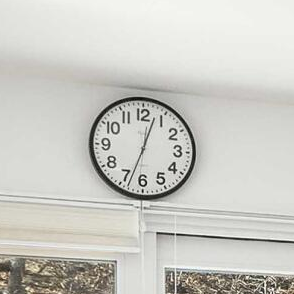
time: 12:33
